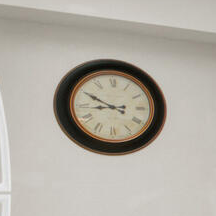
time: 8:49
